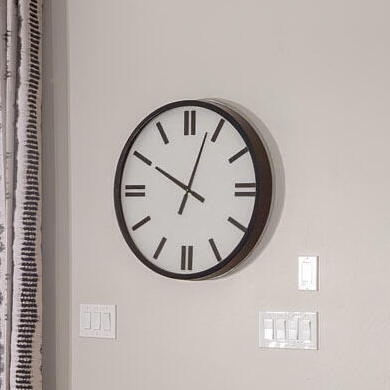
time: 10:03
